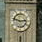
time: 2:47
